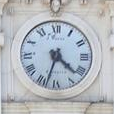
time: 4:33
